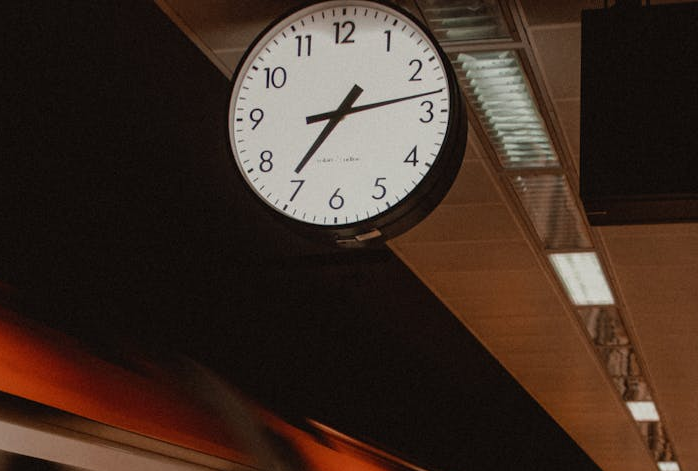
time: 7:13
